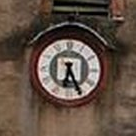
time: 6:25
